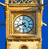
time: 4:41
